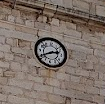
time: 2:40
